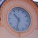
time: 10:32
